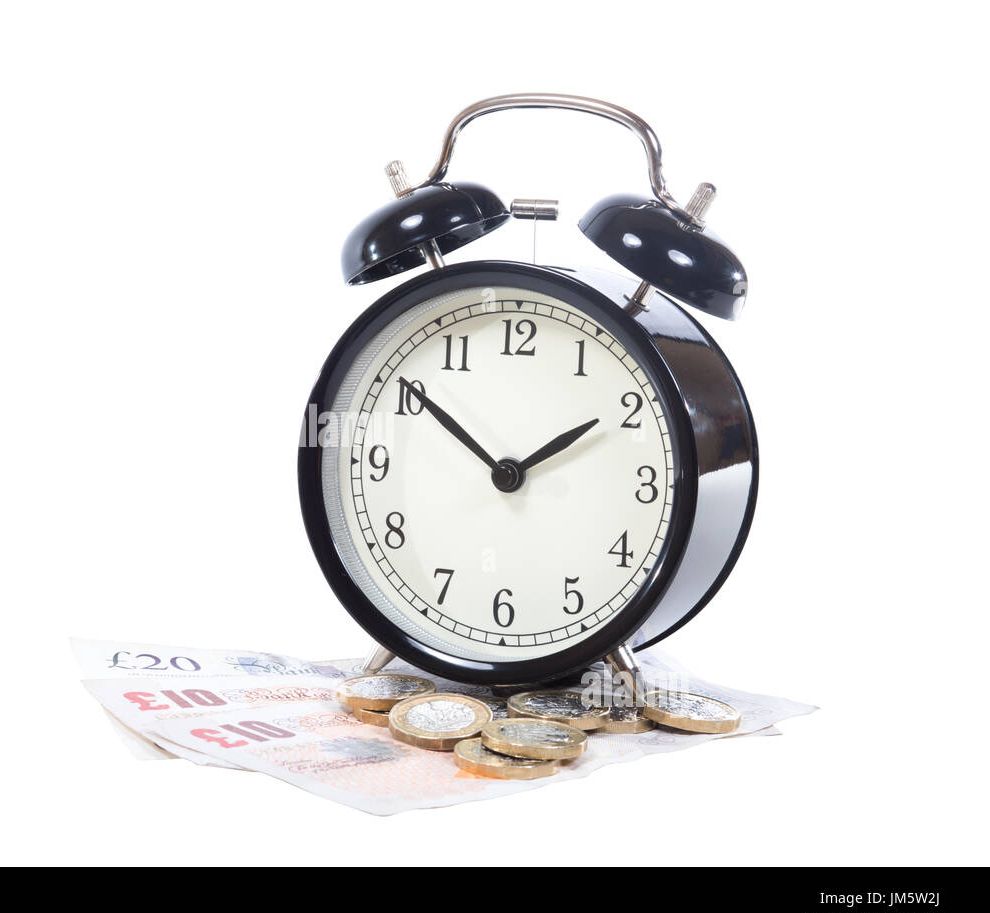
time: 1:51
